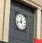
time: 11:42
